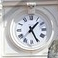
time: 1:25
